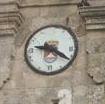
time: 9:20
